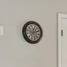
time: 12:12
